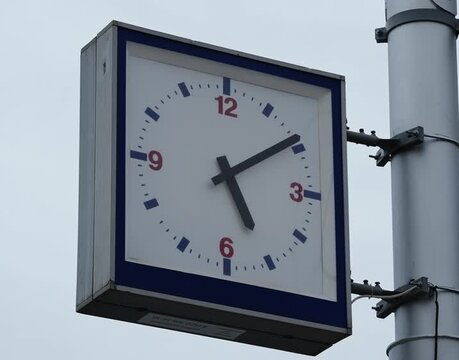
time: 5:09
